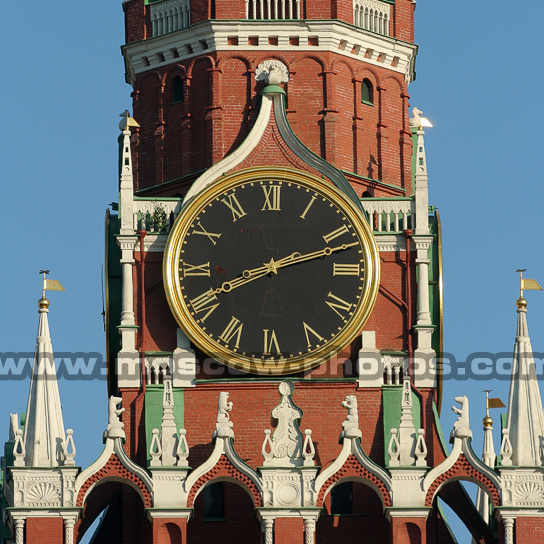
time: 8:12
